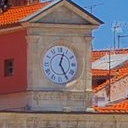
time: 5:03
